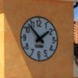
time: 1:52
